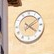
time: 4:09
